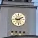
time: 9:10
